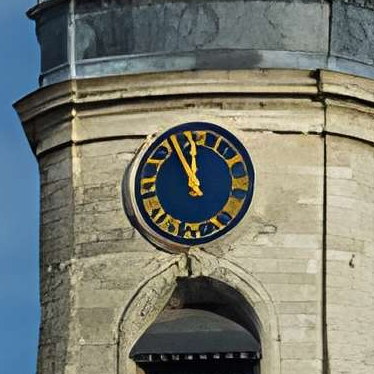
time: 11:55
